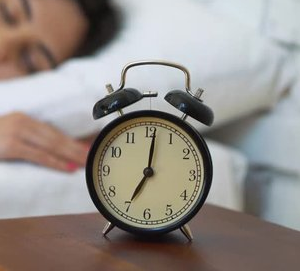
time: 7:01
